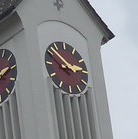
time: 2:52
